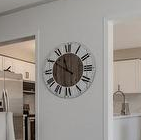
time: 11:50
